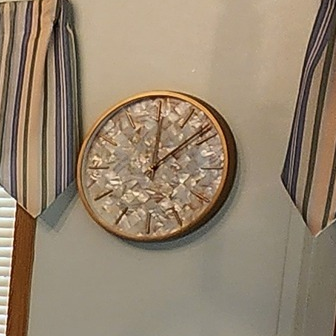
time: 12:07
